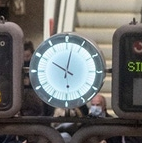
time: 10:02
